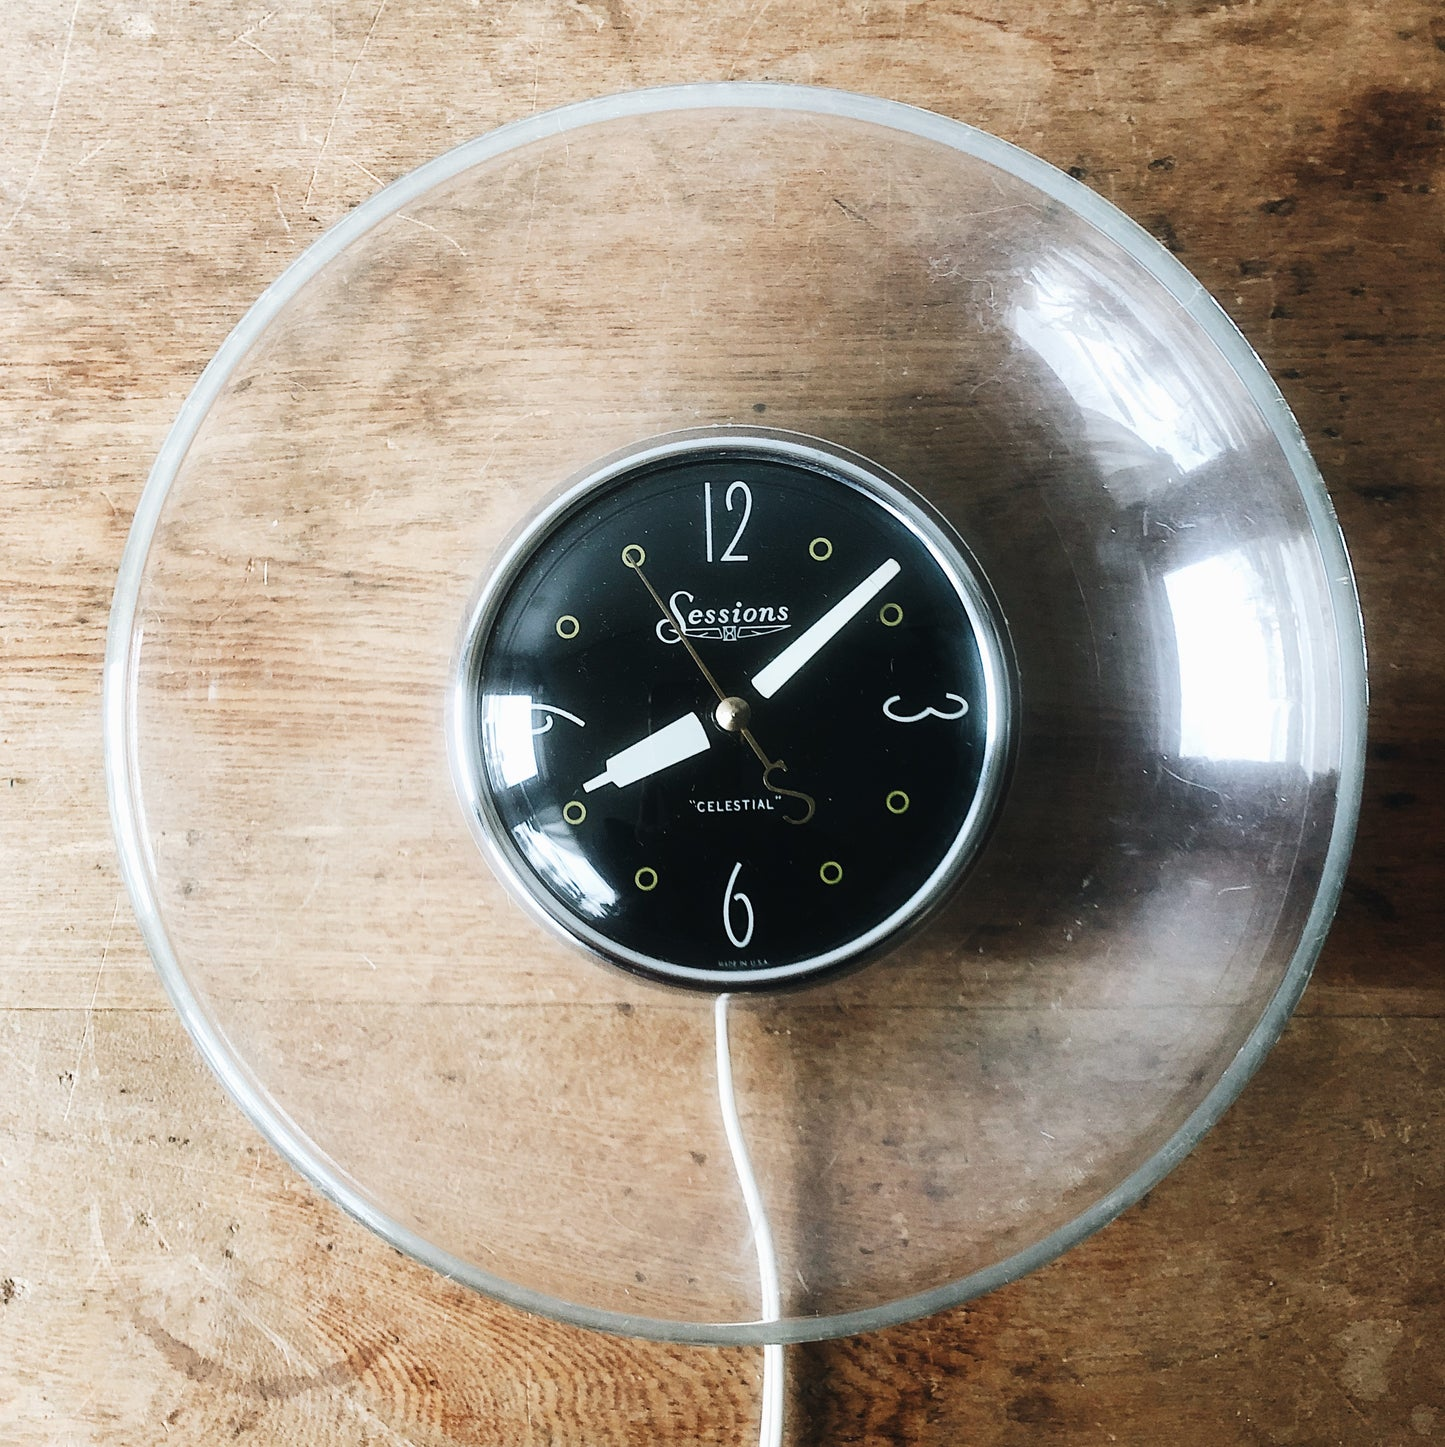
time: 8:07
